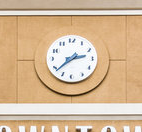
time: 2:38
